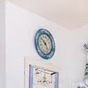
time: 4:50
